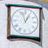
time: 12:57
